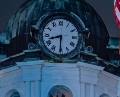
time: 8:30
